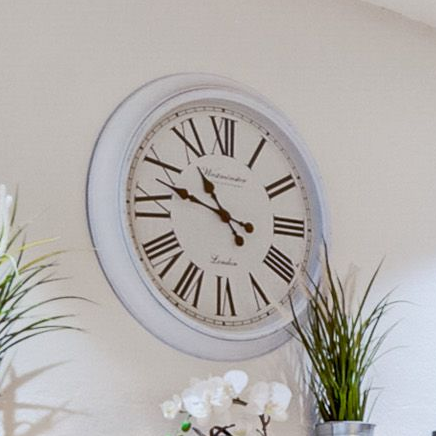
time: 10:48
